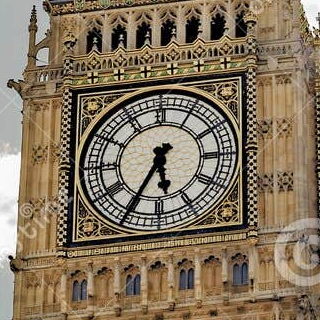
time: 5:34
